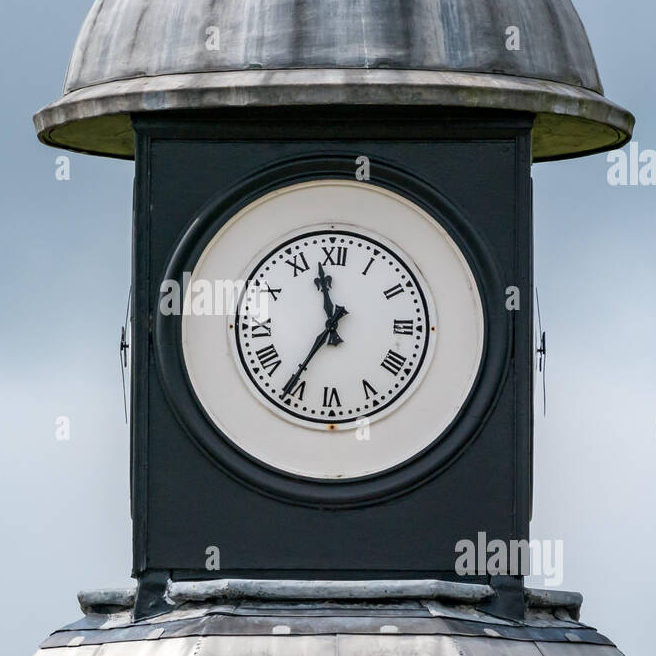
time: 11:35
